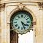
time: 4:26
